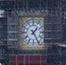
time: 1:24
